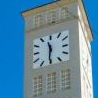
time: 11:31
